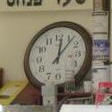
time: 12:06
